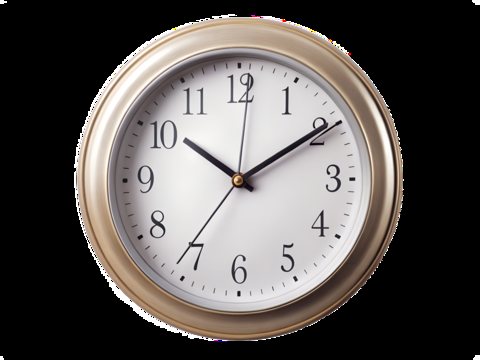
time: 10:09
